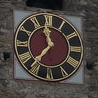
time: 11:36
